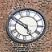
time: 4:49
